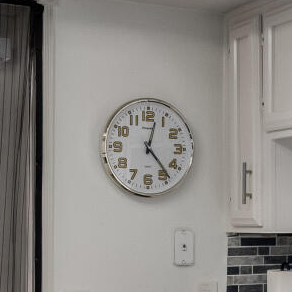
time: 12:23
